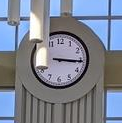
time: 3:15
